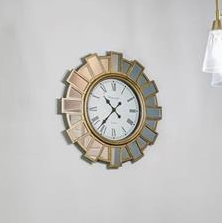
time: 10:36
